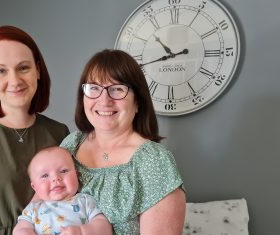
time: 10:42
